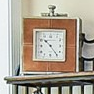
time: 10:23
